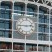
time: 2:45
